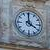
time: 3:59
